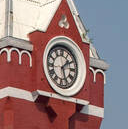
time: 1:26
